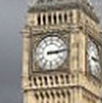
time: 3:13
